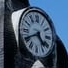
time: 4:40
